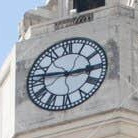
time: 2:46
